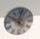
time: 10:02
